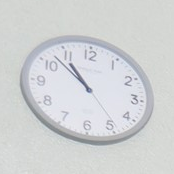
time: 10:52
